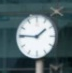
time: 1:45
